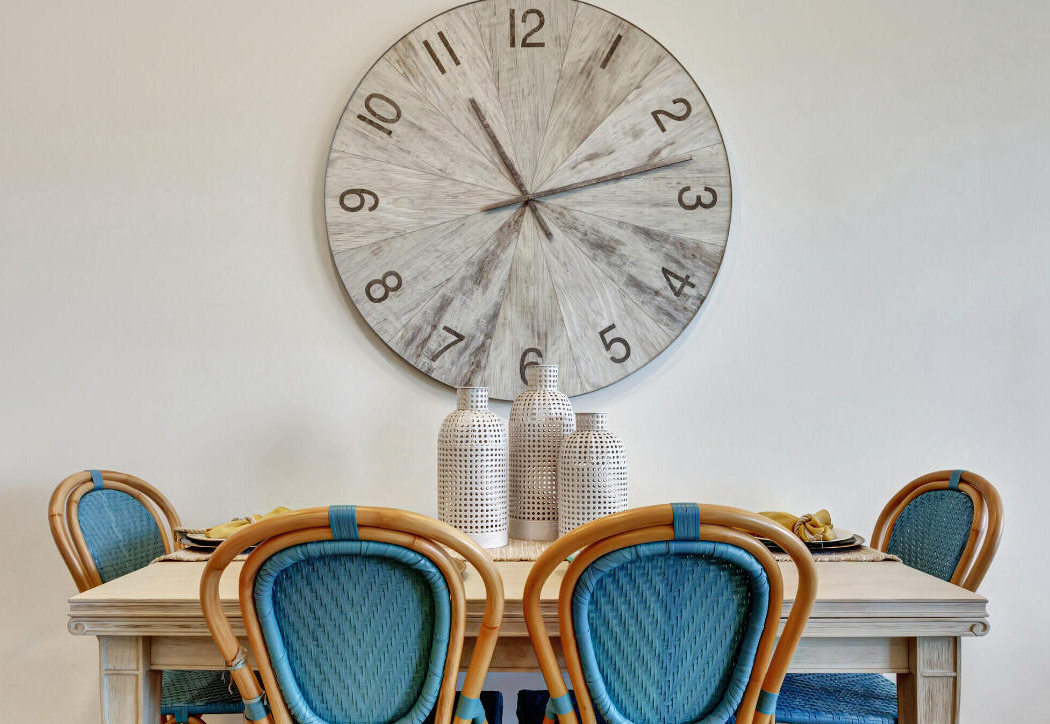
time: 11:12
